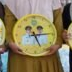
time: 5:14
